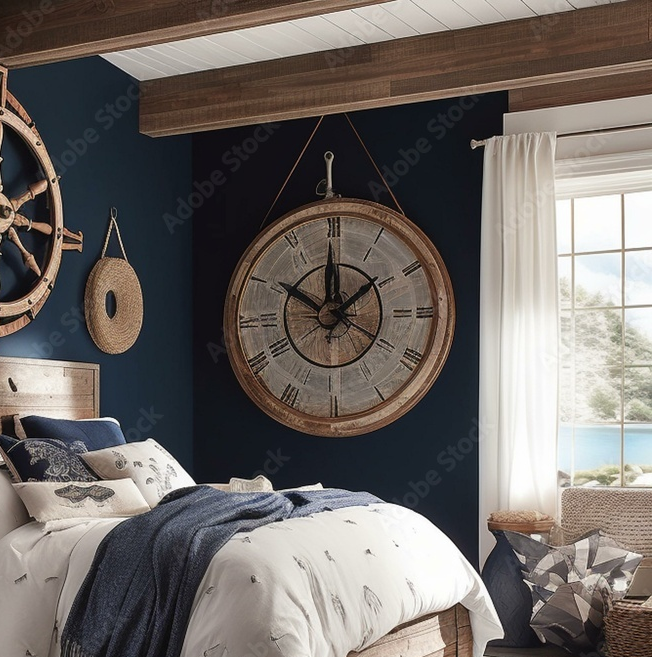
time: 11:50
